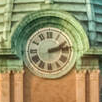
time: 2:13
